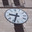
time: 9:33
